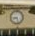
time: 8:27
